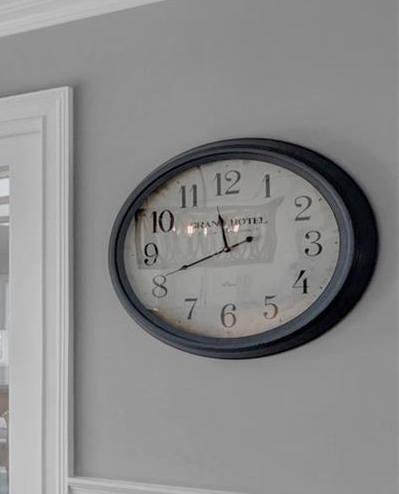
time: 11:41
